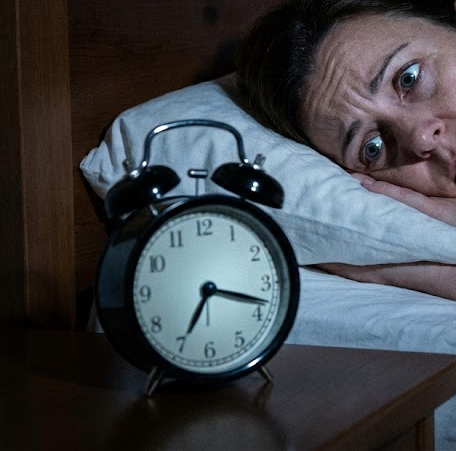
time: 3:34
